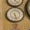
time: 5:27
